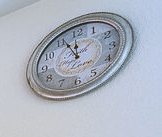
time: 11:55
